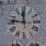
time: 11:46
